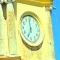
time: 6:58
